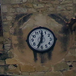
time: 12:34
